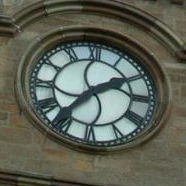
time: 1:36
